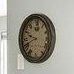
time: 9:41
